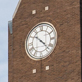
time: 10:22
